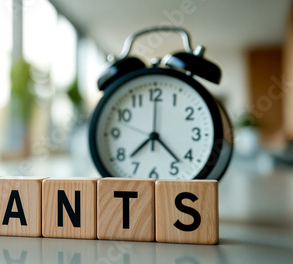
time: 7:22
